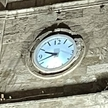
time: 9:41
